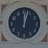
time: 12:02
